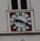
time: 9:20
